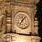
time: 7:07
